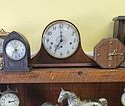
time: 6:59
